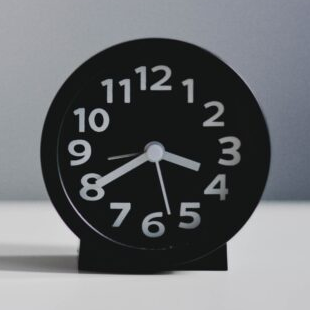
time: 3:39
